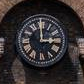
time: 2:59
